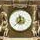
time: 11:37
